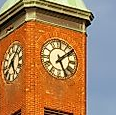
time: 5:08
